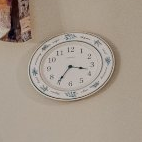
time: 3:35
